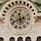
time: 11:41
